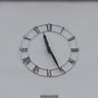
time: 11:25
